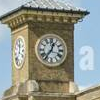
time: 12:36
